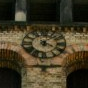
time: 4:07
